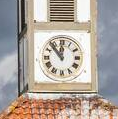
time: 11:53
